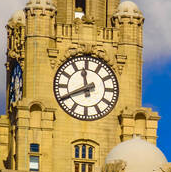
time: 11:40
